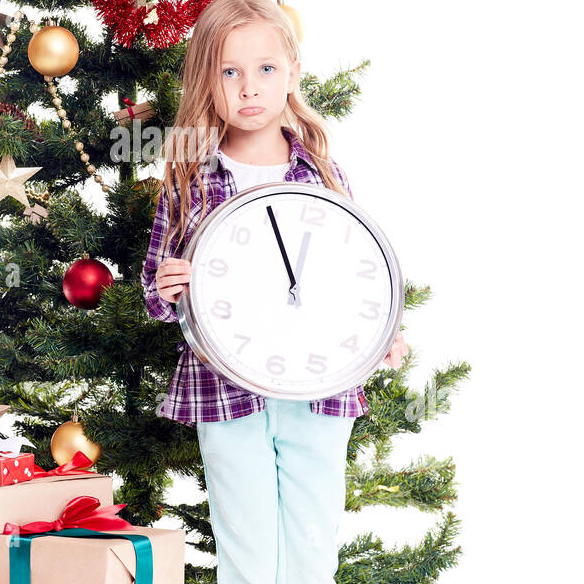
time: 11:55
